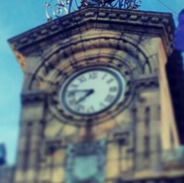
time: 7:46
